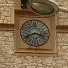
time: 3:40
